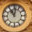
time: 11:01
